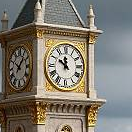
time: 11:50
